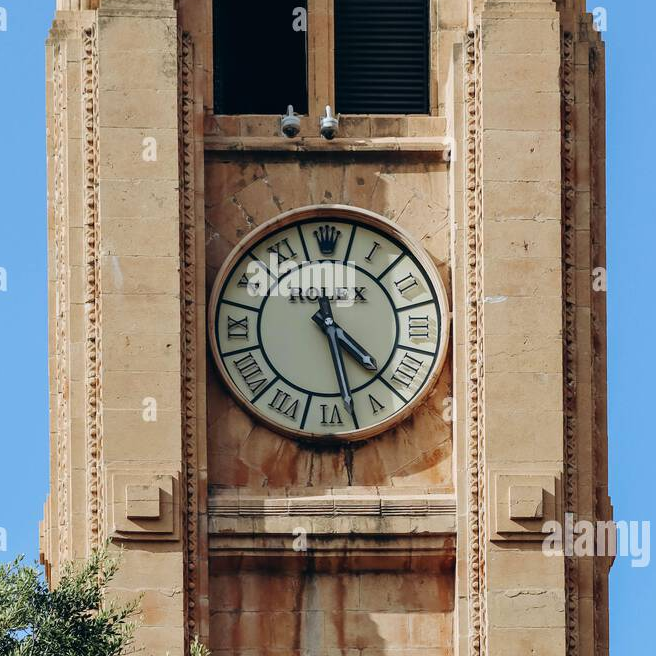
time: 4:28
